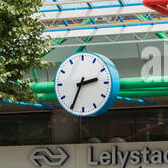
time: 2:34
